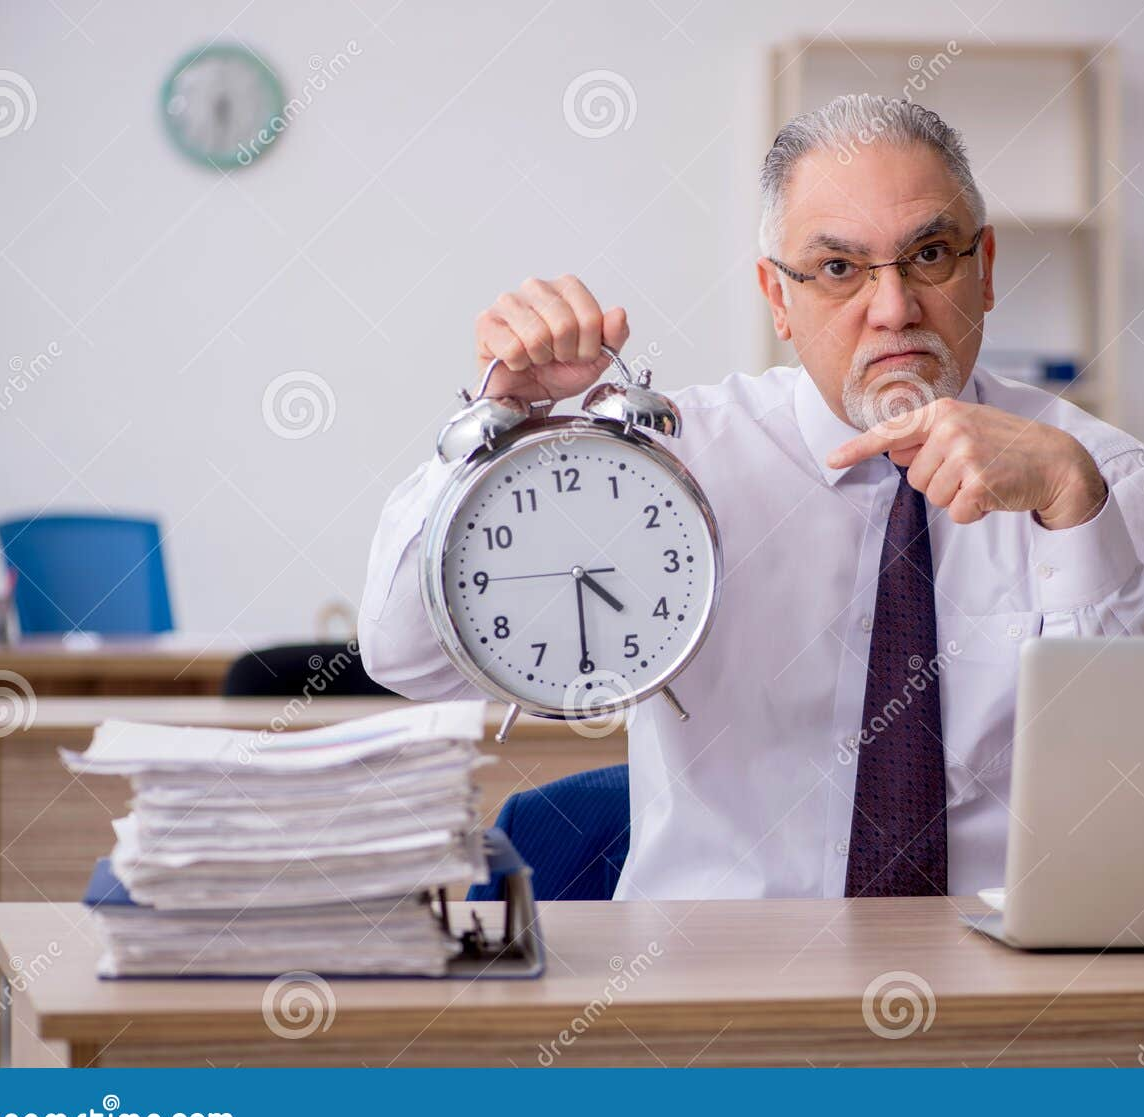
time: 4:30
